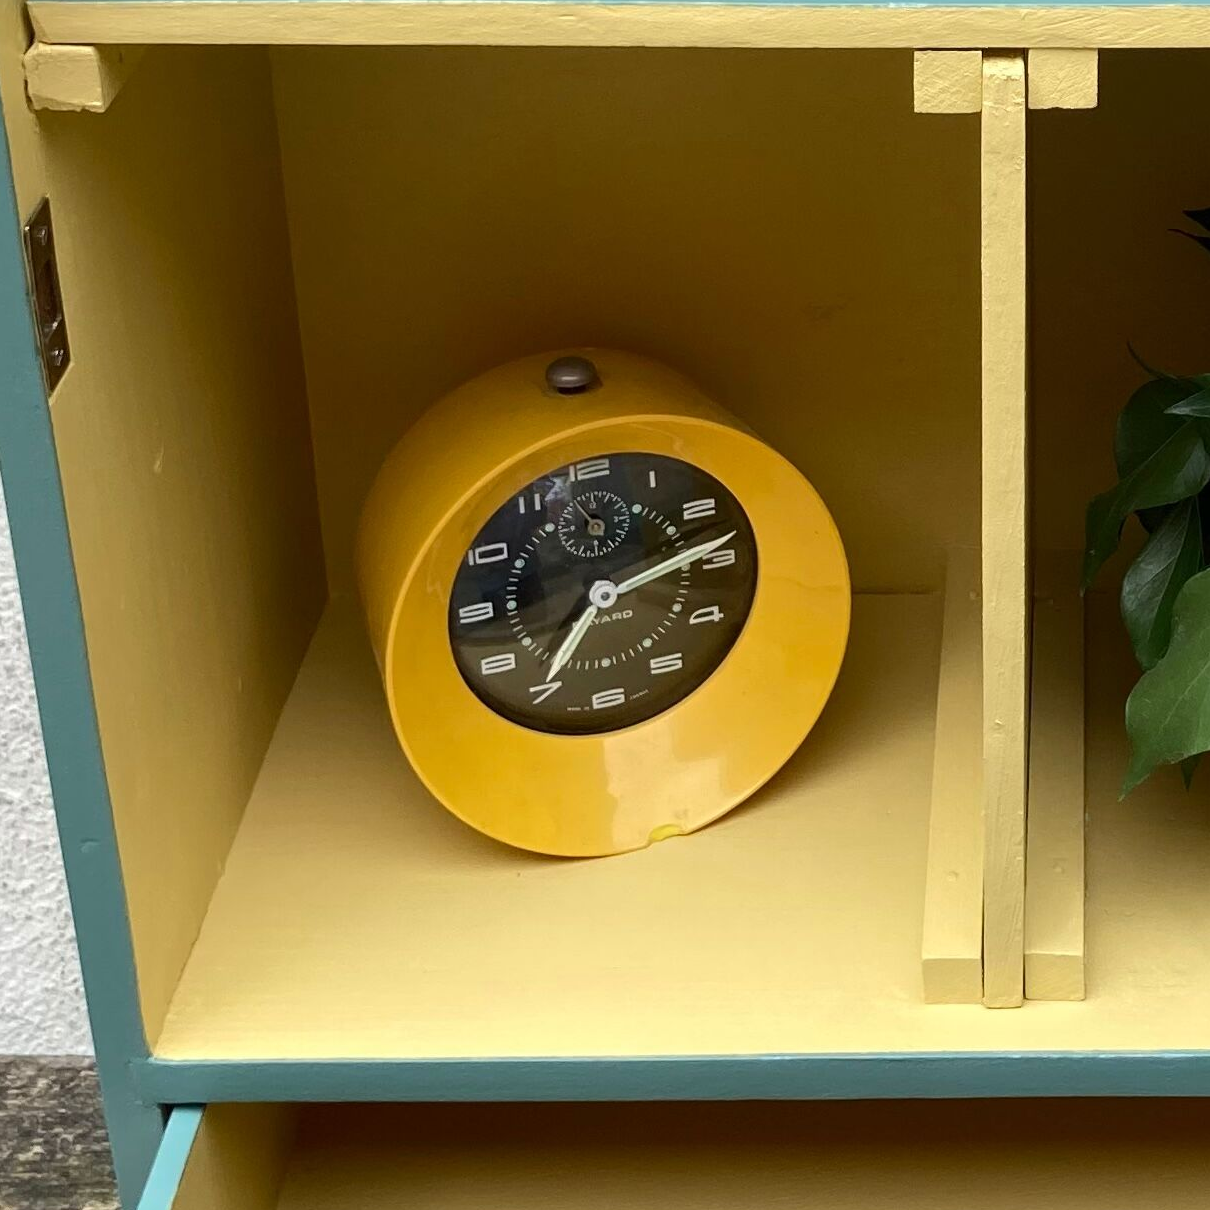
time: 7:12
